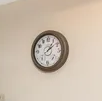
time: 1:08
